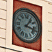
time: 1:17
